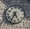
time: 4:34
